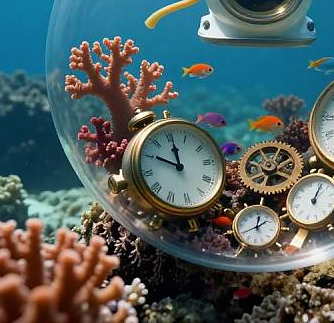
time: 10:00
